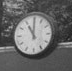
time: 11:00
